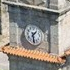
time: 1:28
